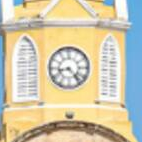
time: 8:23
